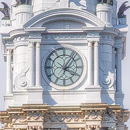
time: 4:04
